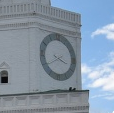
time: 3:40
